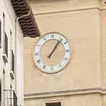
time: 1:06
